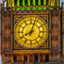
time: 8:03
